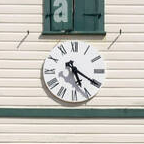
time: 5:20
